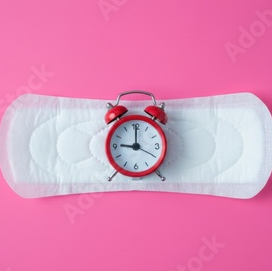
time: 9:00
